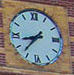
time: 8:37
